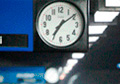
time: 7:09
